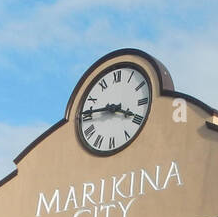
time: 3:45
